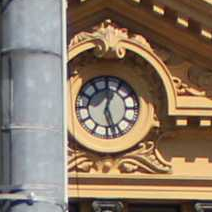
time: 12:26
